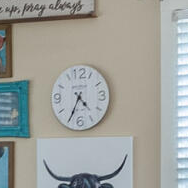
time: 4:34
